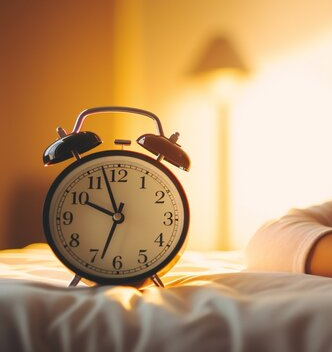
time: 9:57
